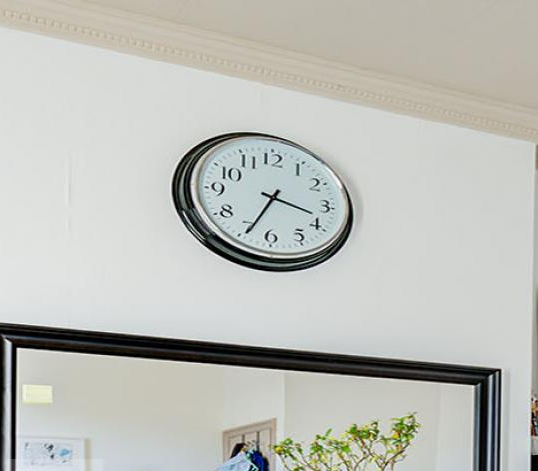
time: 3:34
